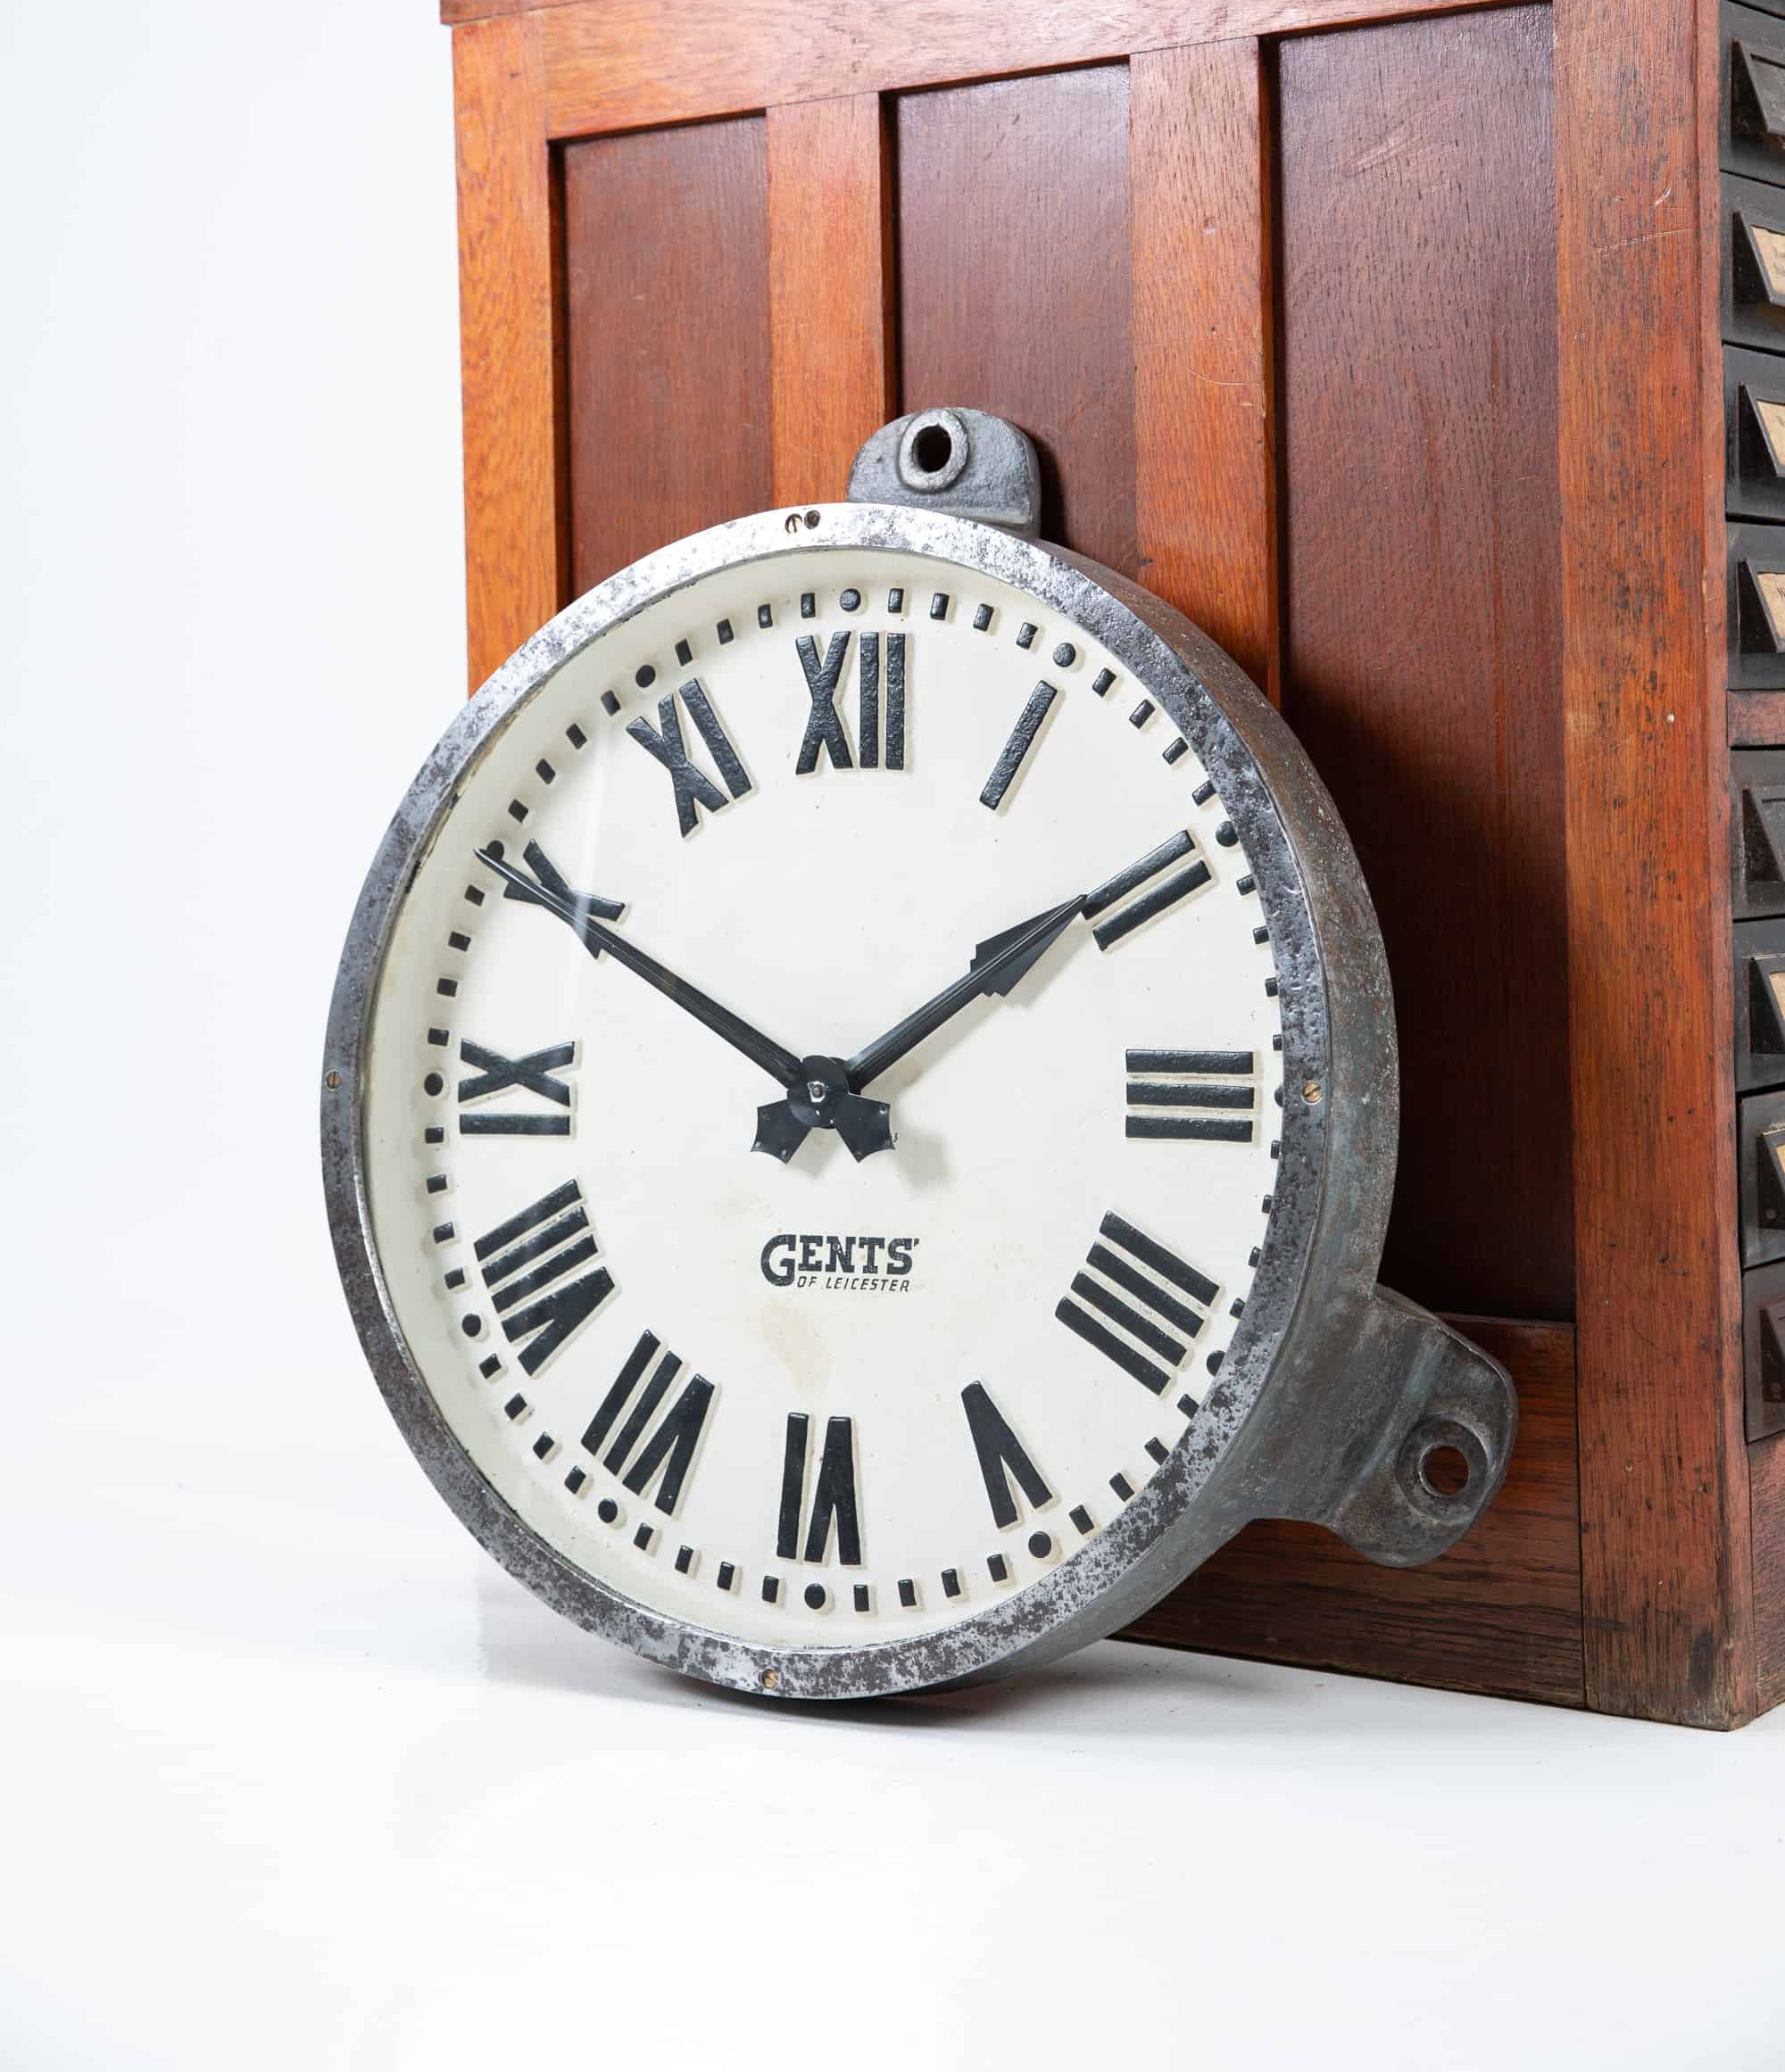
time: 1:50
